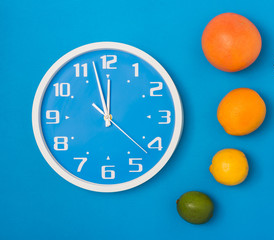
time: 11:57
